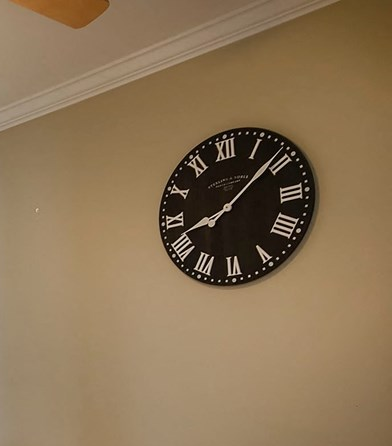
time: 8:08
